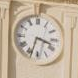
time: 3:33
